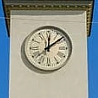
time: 12:08
